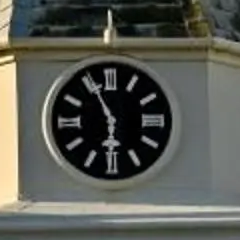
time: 5:55
